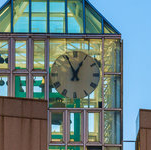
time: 12:55
